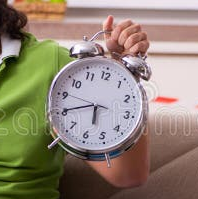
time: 5:40
